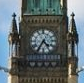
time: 4:35
